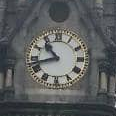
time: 10:42
